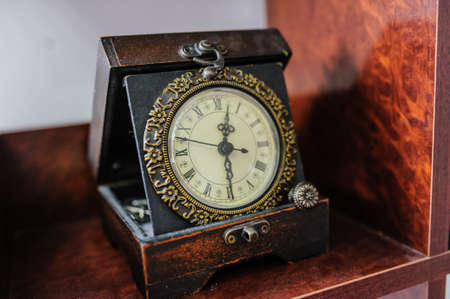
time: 12:28
